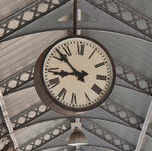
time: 8:52
